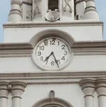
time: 7:26
